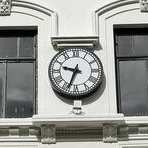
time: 9:33
